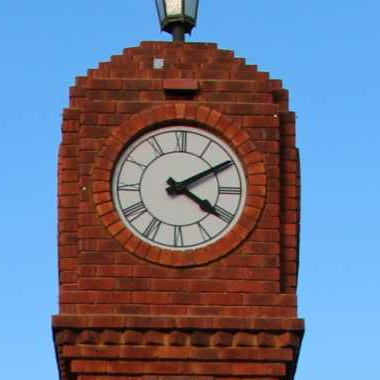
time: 4:09
